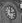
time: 12:12
